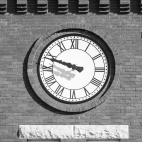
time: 9:48
